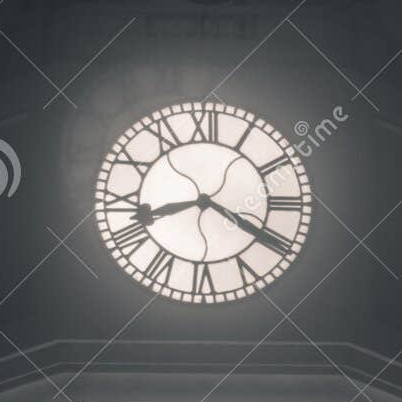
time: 8:20
